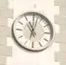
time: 11:02
